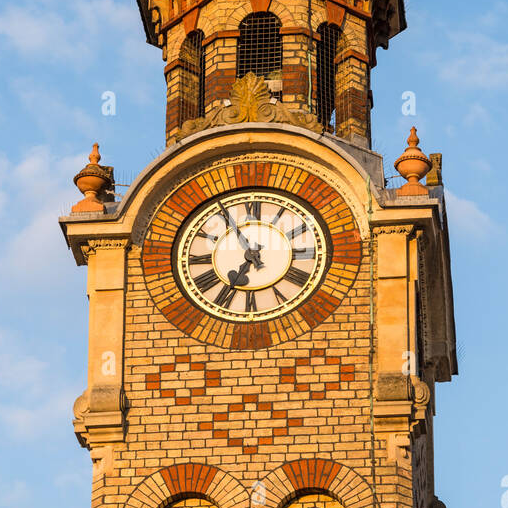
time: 6:55
